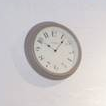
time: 10:07
